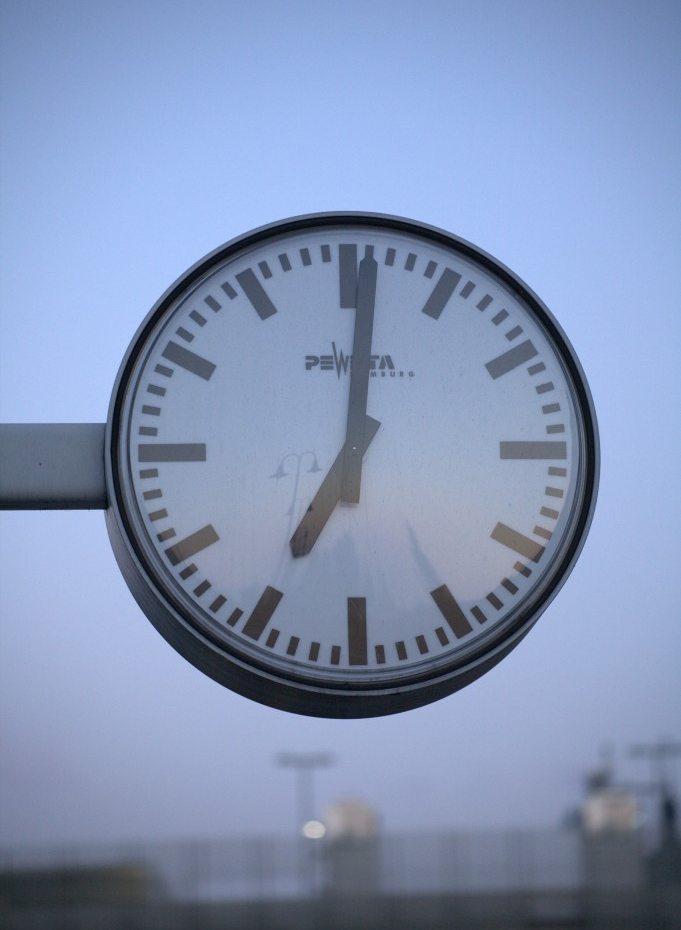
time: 7:00
